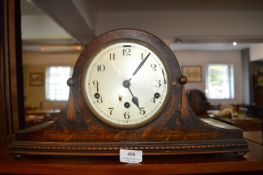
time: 5:06
